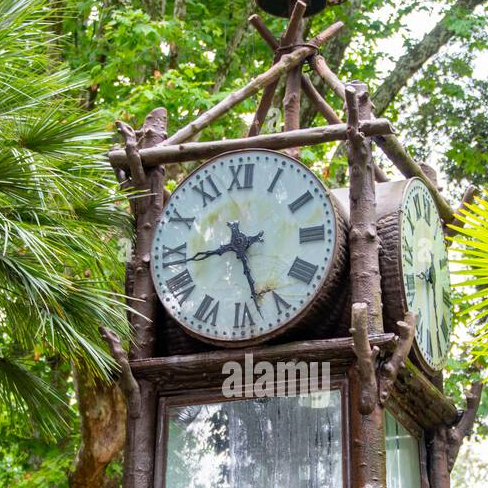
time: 8:27
